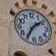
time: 1:35
